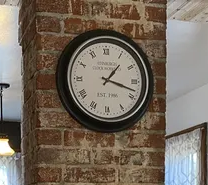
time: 1:18
